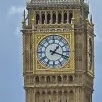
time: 1:18
